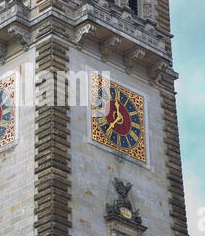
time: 11:37
